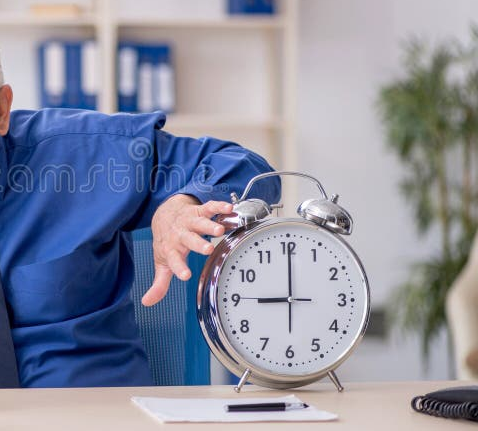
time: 9:00
